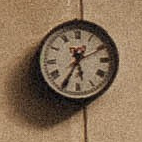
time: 5:34
